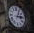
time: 3:04
